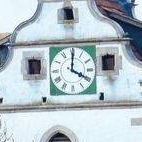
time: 4:00
